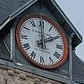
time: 2:00
